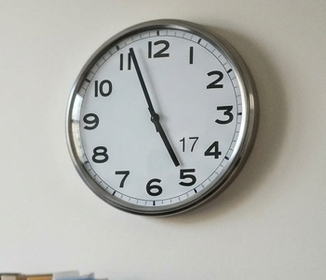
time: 4:56
